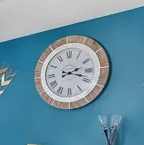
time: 2:18
